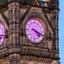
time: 4:18
